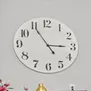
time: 2:54
